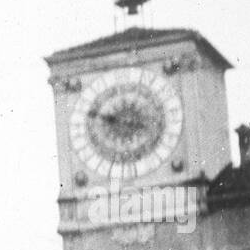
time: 8:47
